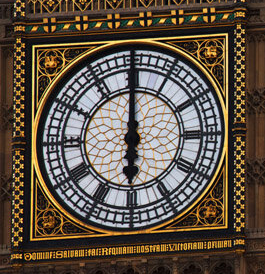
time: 5:59
